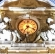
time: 7:18
